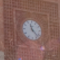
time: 11:22
